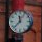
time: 11:37
